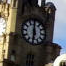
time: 5:59
